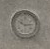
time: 10:14
